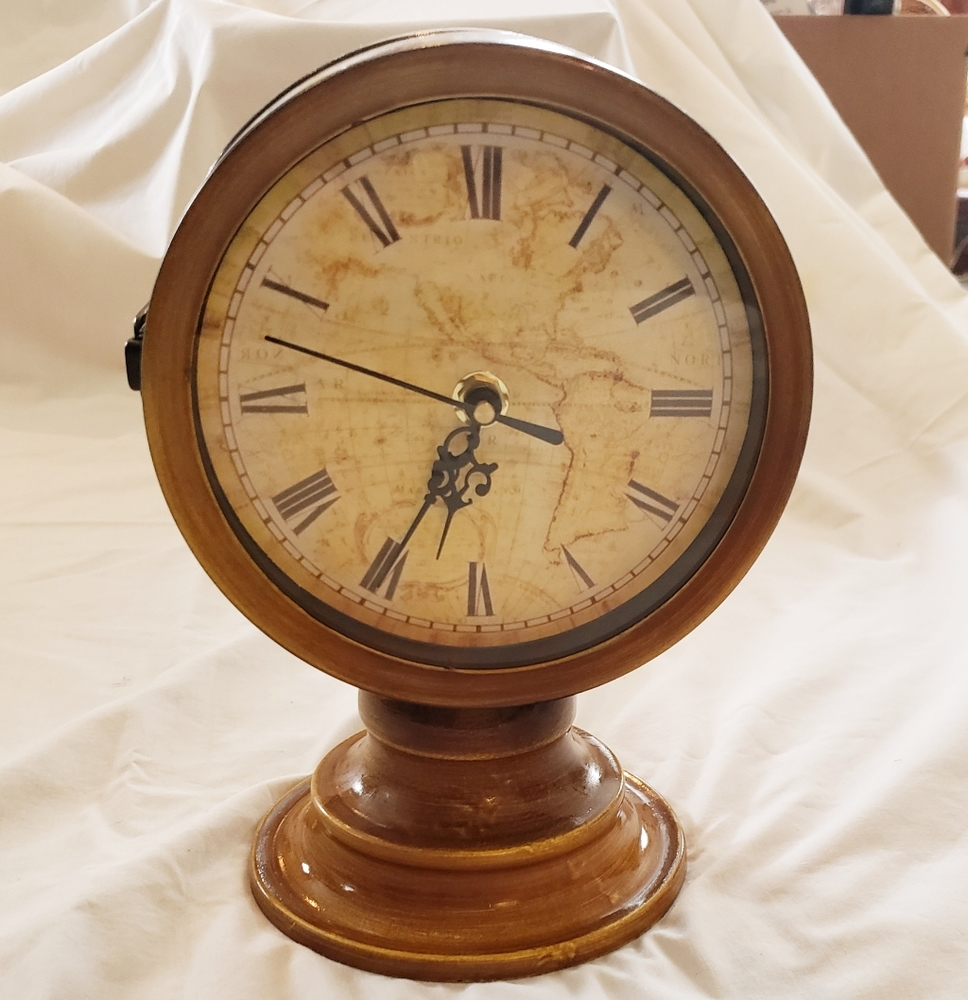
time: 6:34
